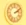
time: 2:09
